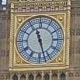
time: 11:27
